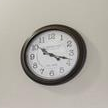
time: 10:17
